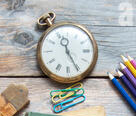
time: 11:25
